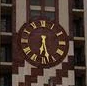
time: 6:27
